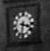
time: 3:32
